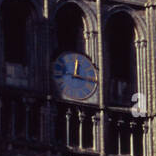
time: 12:16
